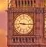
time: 9:15
